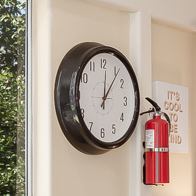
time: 12:06
